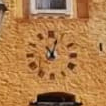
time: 11:03
